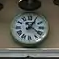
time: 1:21
